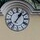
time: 1:06
